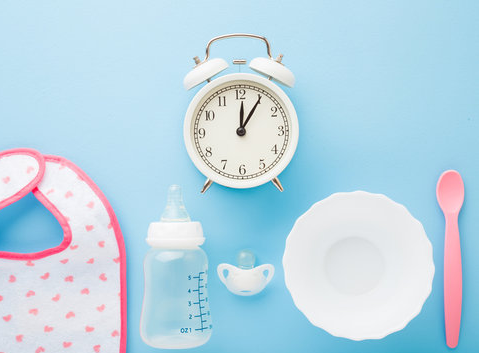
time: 12:05
